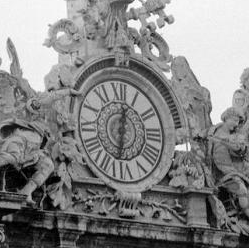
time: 12:32
